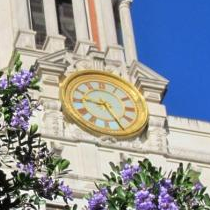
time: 9:25
